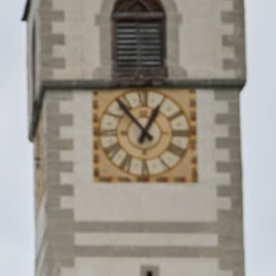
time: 12:53
